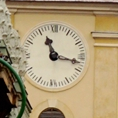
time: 11:17
